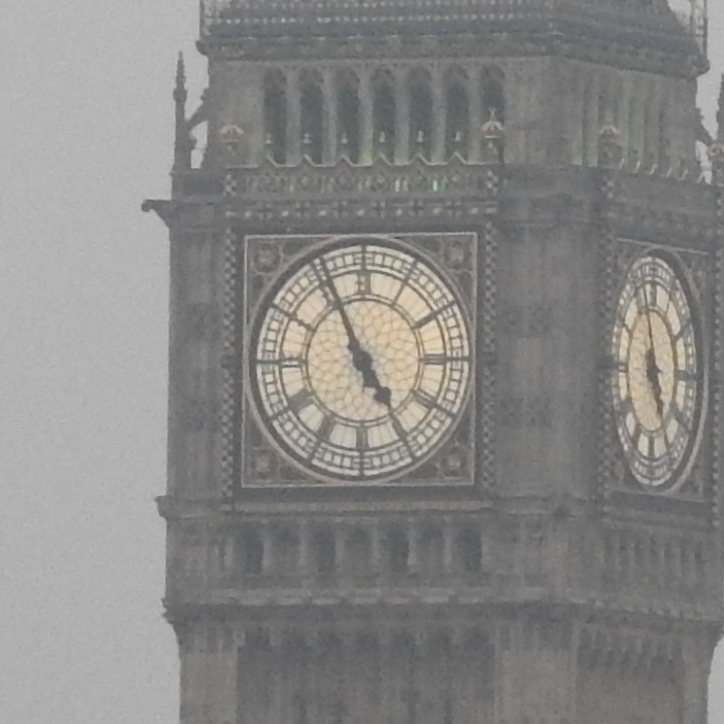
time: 4:55
